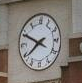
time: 7:49
